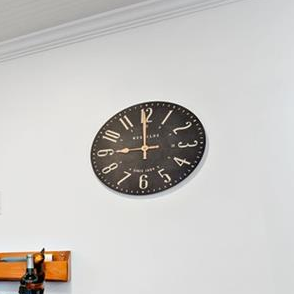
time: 8:59
